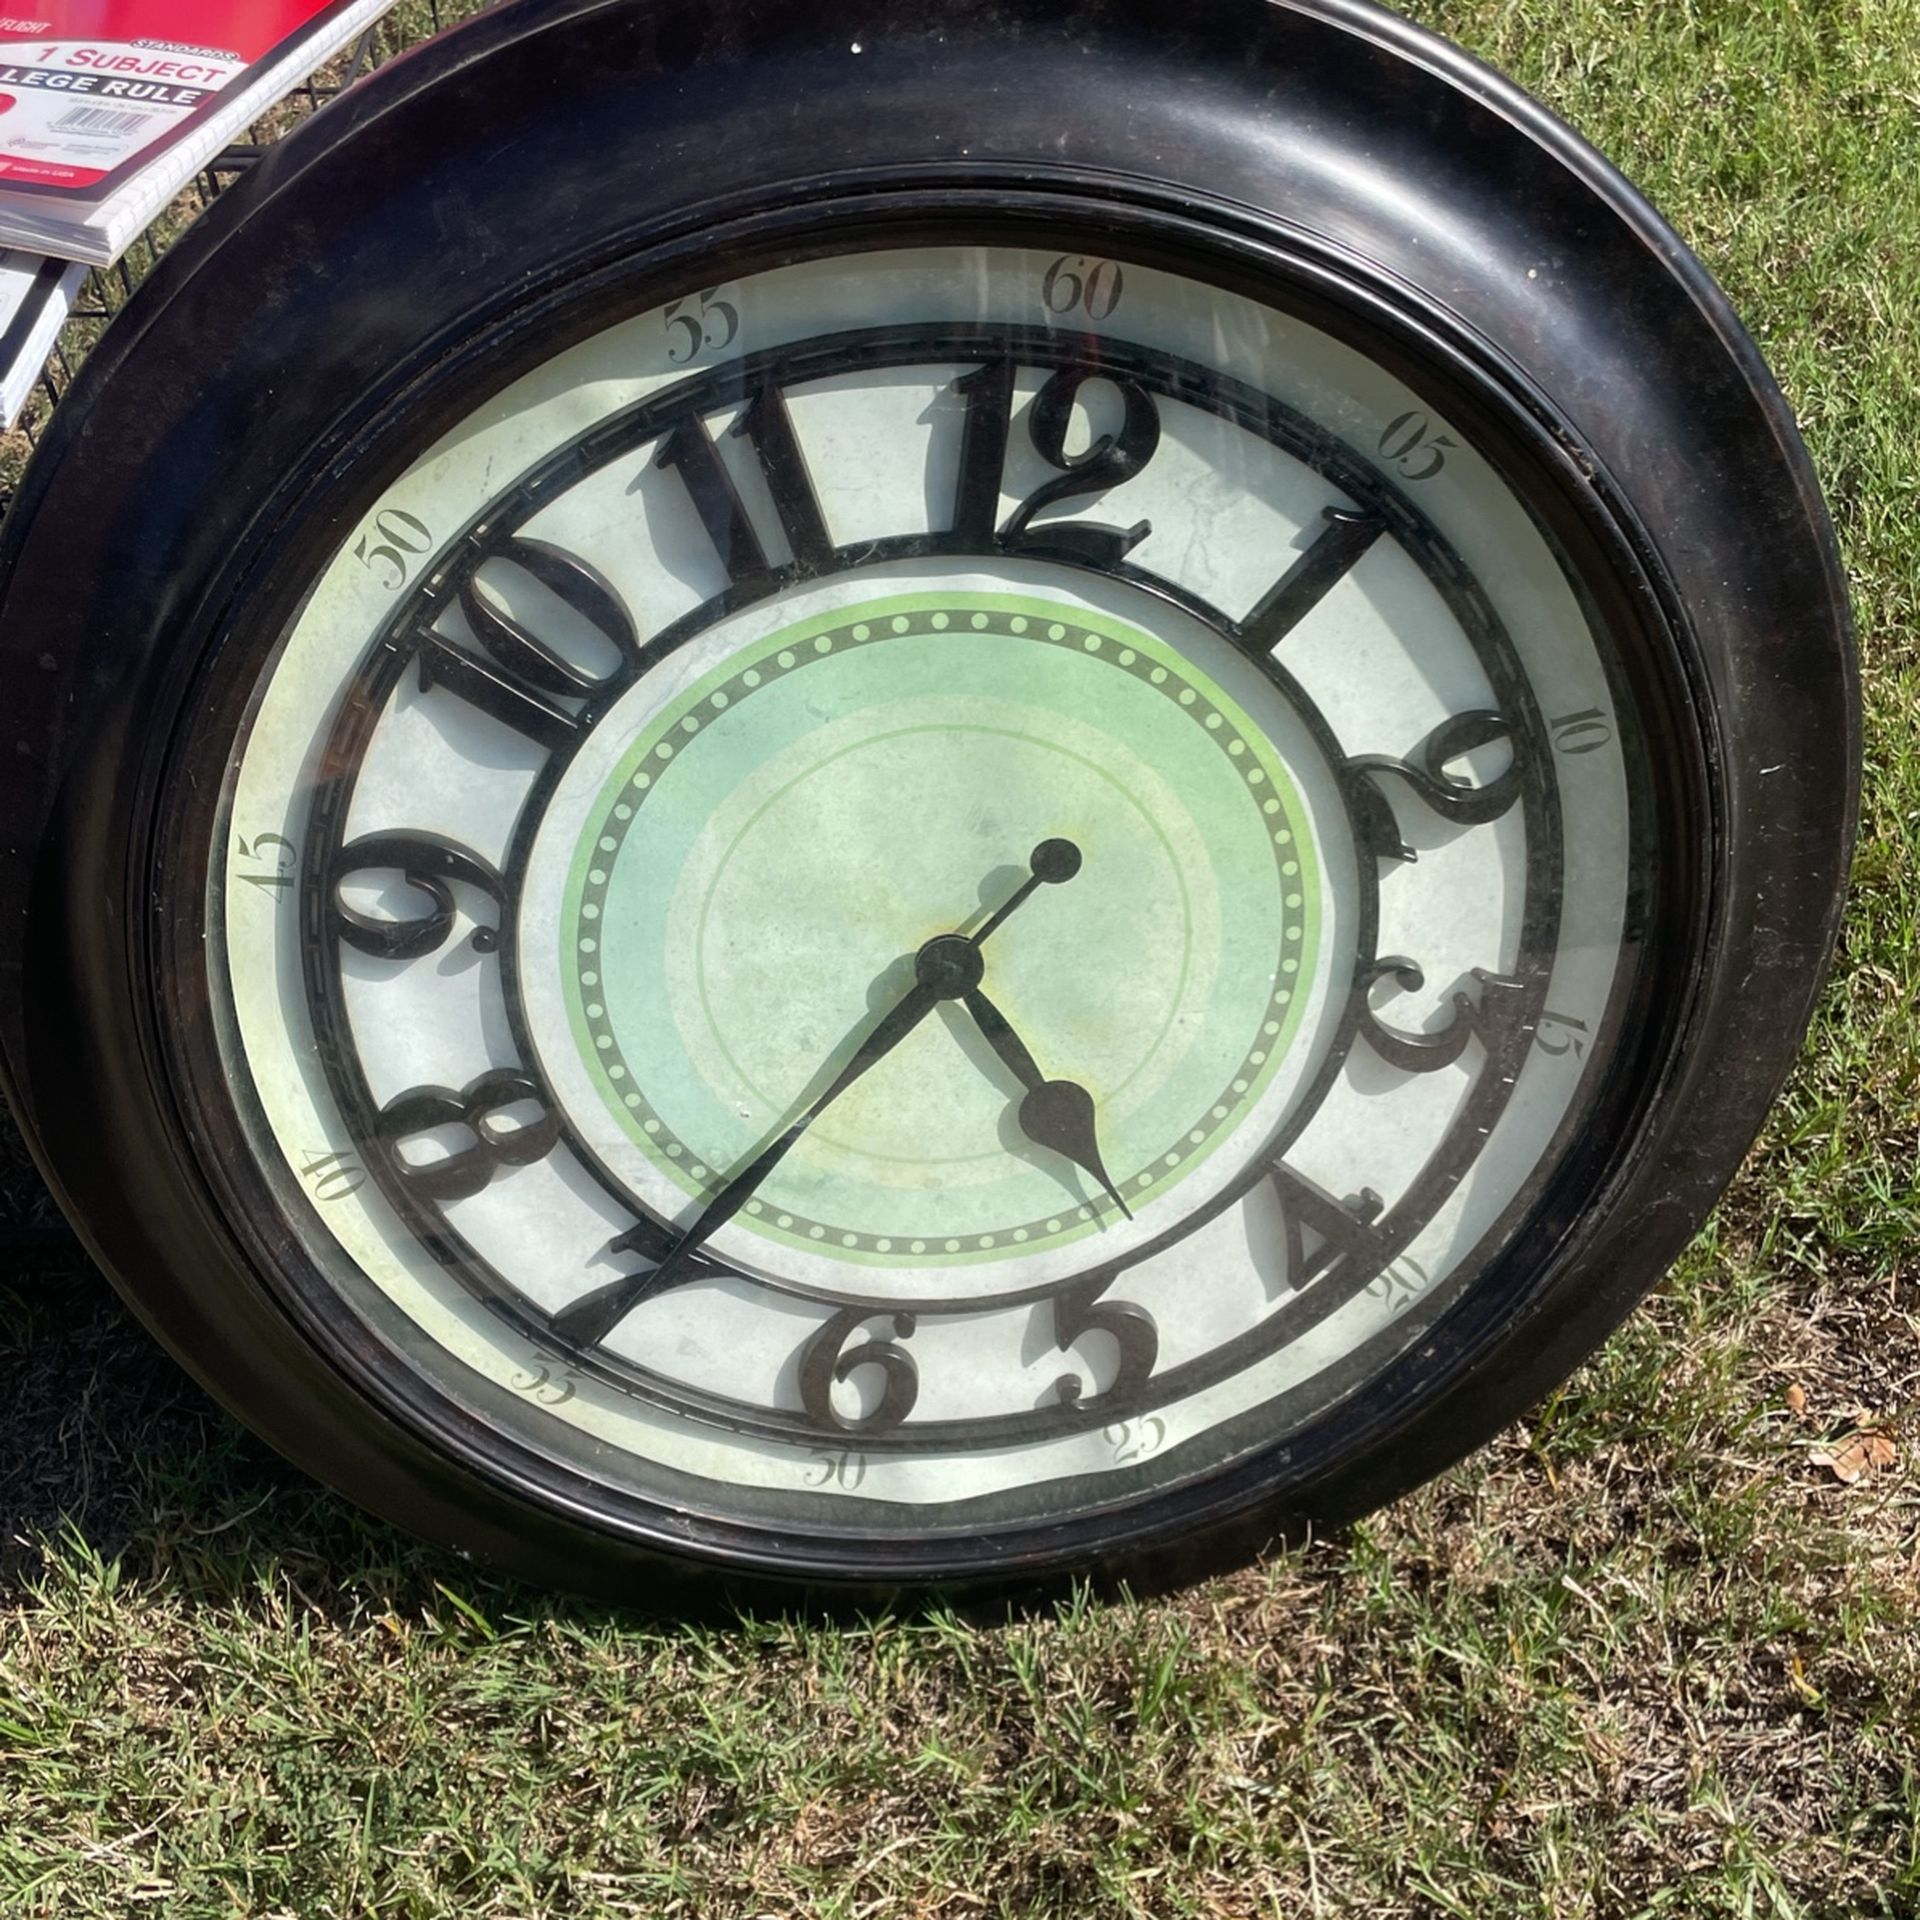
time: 4:35
